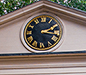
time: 2:16
